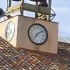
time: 7:08
